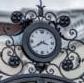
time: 3:39
